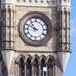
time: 10:48
